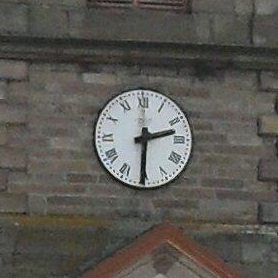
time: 2:30
